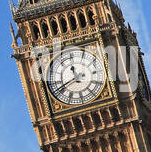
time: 11:41
